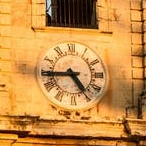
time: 4:44
